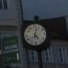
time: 5:03
